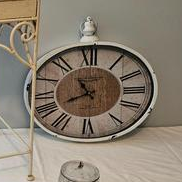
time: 7:54
